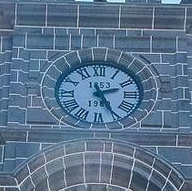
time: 2:25
